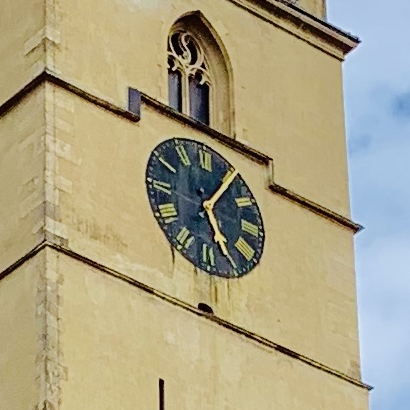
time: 5:05
